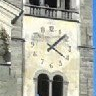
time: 4:07
